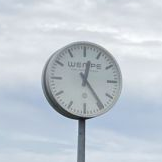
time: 12:24
